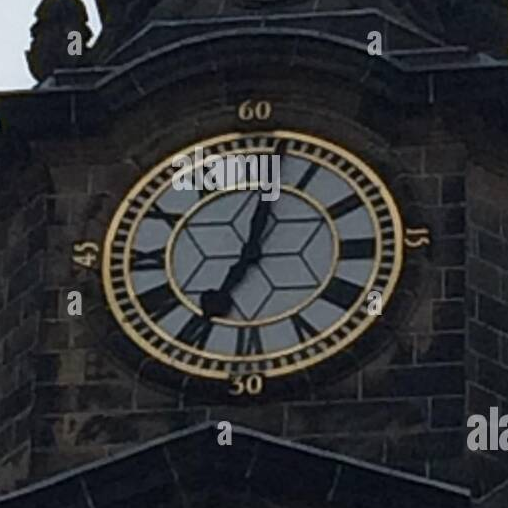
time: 12:34
